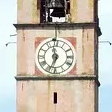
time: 11:33
